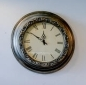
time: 11:50
